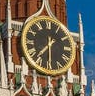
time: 7:30
